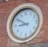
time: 8:50
